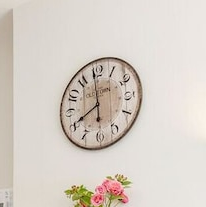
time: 7:59
